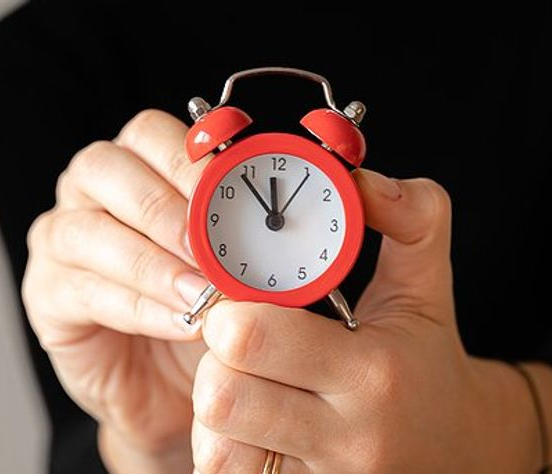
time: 11:53
